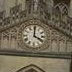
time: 4:00
